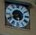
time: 5:40
